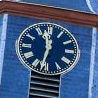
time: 11:32
